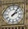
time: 2:06
